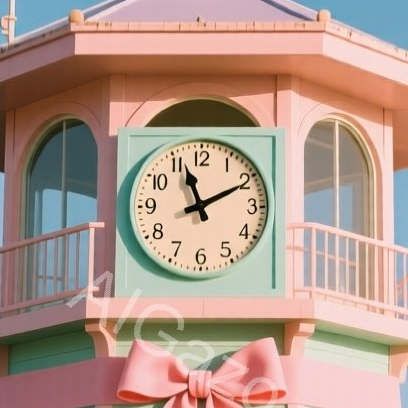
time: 11:10
